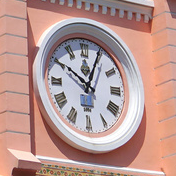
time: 10:04
